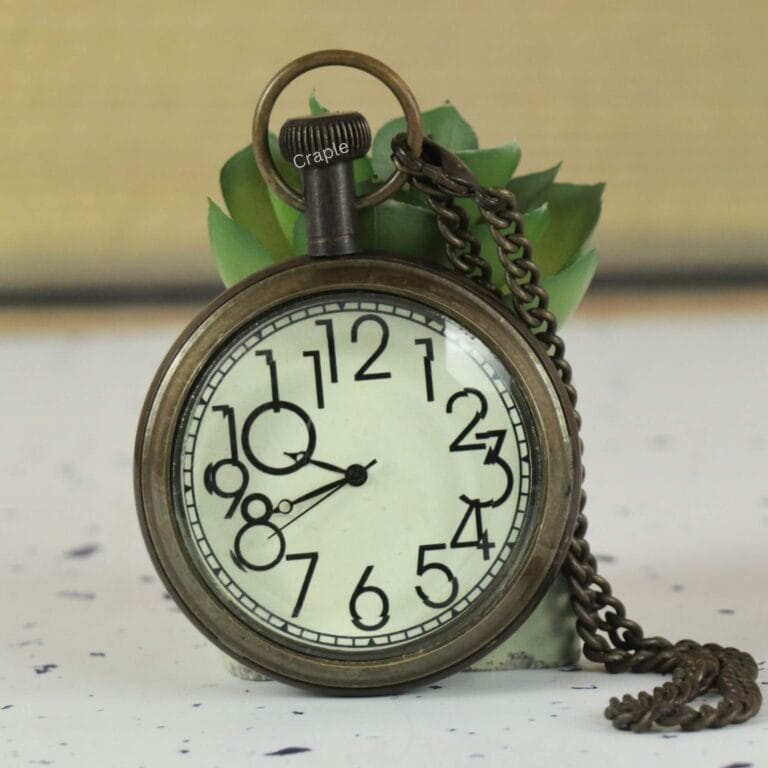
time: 9:41
